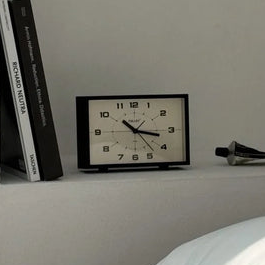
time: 10:17
